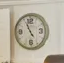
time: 4:55
